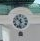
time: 10:32
